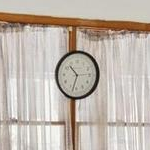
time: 10:32
